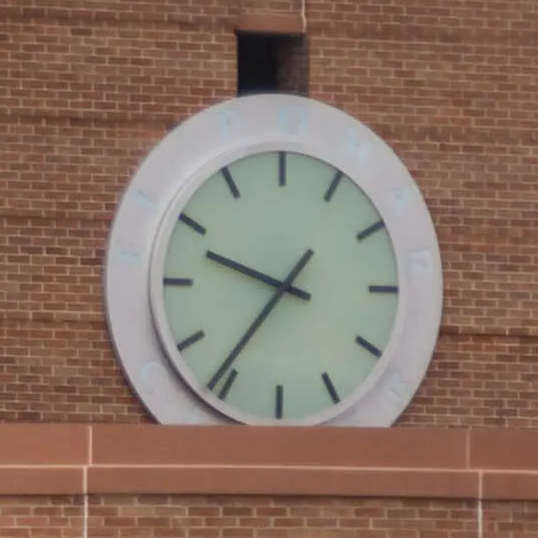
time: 9:36
